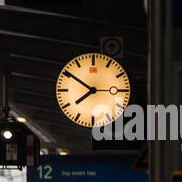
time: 7:50
